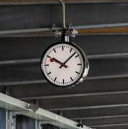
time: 10:07
